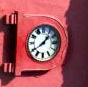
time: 1:39
